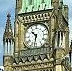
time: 10:32
